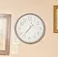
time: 1:36
